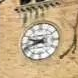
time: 9:42
